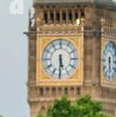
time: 5:30
